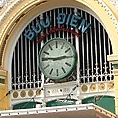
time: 2:46
